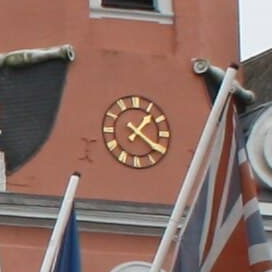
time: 1:20
